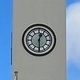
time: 12:29
